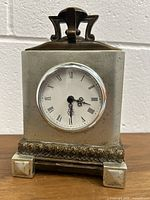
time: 3:29
